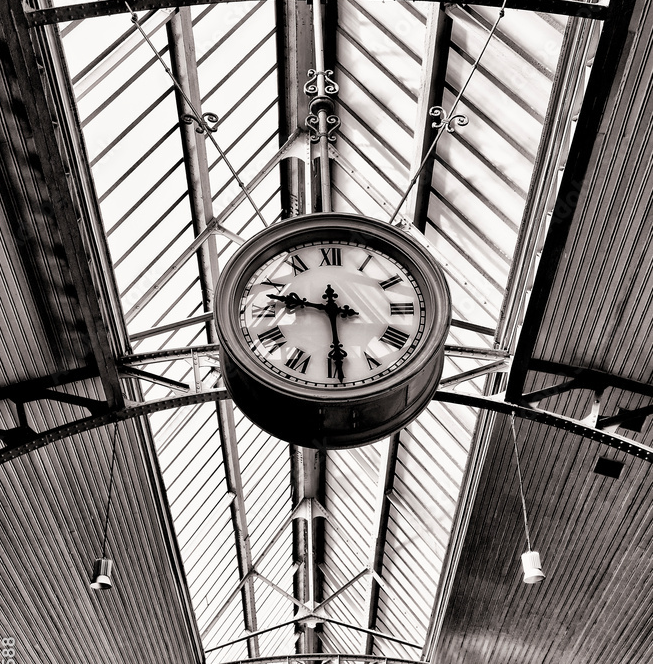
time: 9:29
